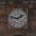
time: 1:47
